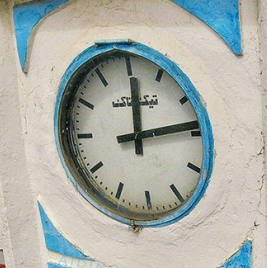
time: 12:13
